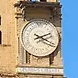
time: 2:19
